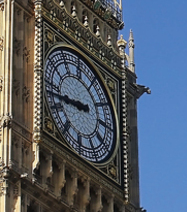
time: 8:43
